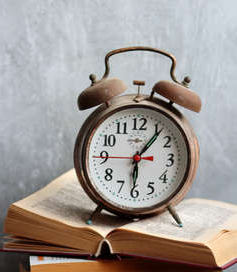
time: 6:06
